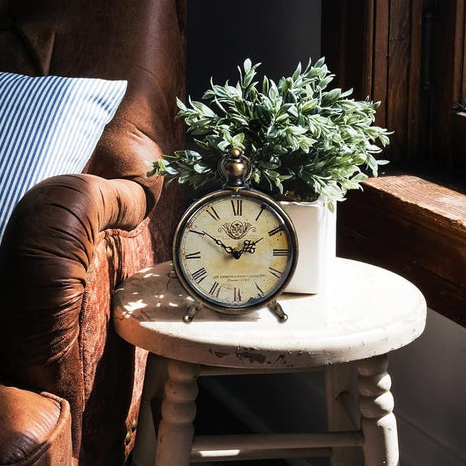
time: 1:50
